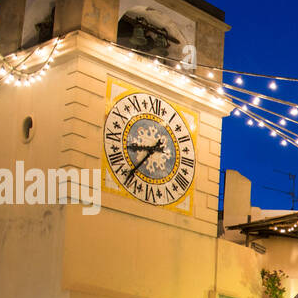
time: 8:36
